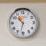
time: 10:32
